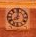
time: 8:01
